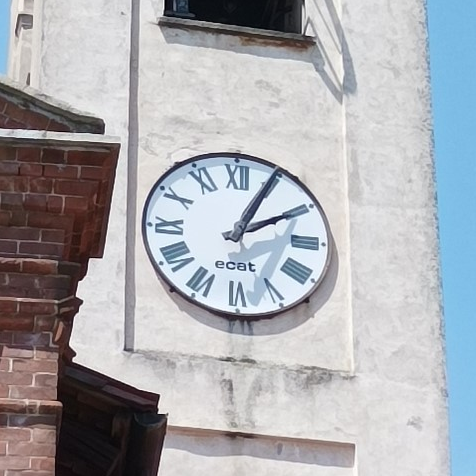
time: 2:04
